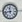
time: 11:42
